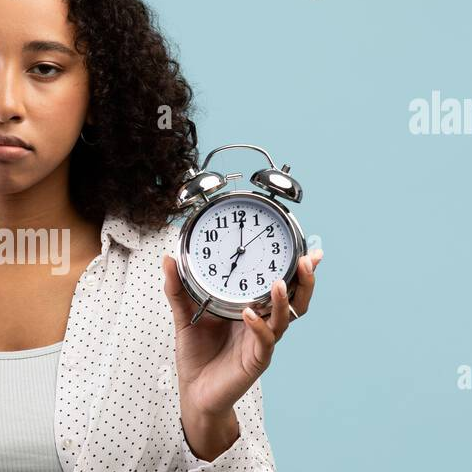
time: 7:01
